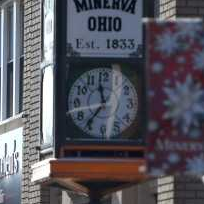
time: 11:36
